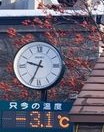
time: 9:34
